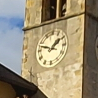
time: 1:47
